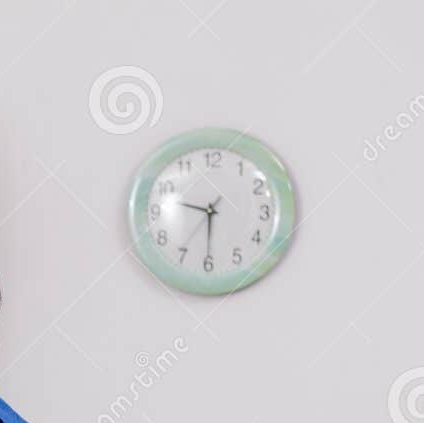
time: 9:30
